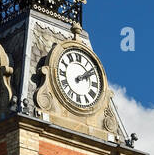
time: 2:08
